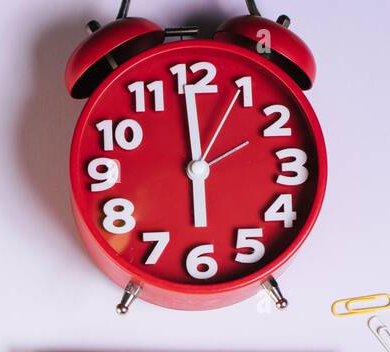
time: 5:59
